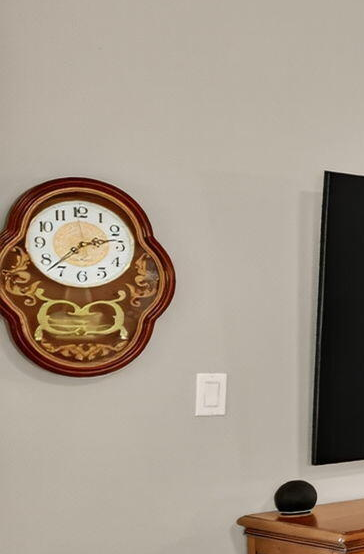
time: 2:37
